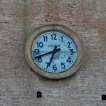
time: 6:41
